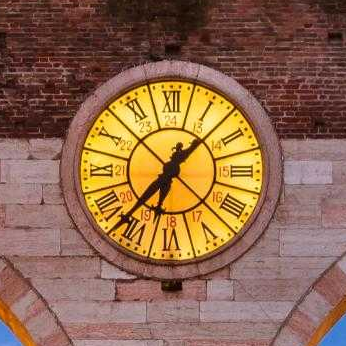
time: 6:37
